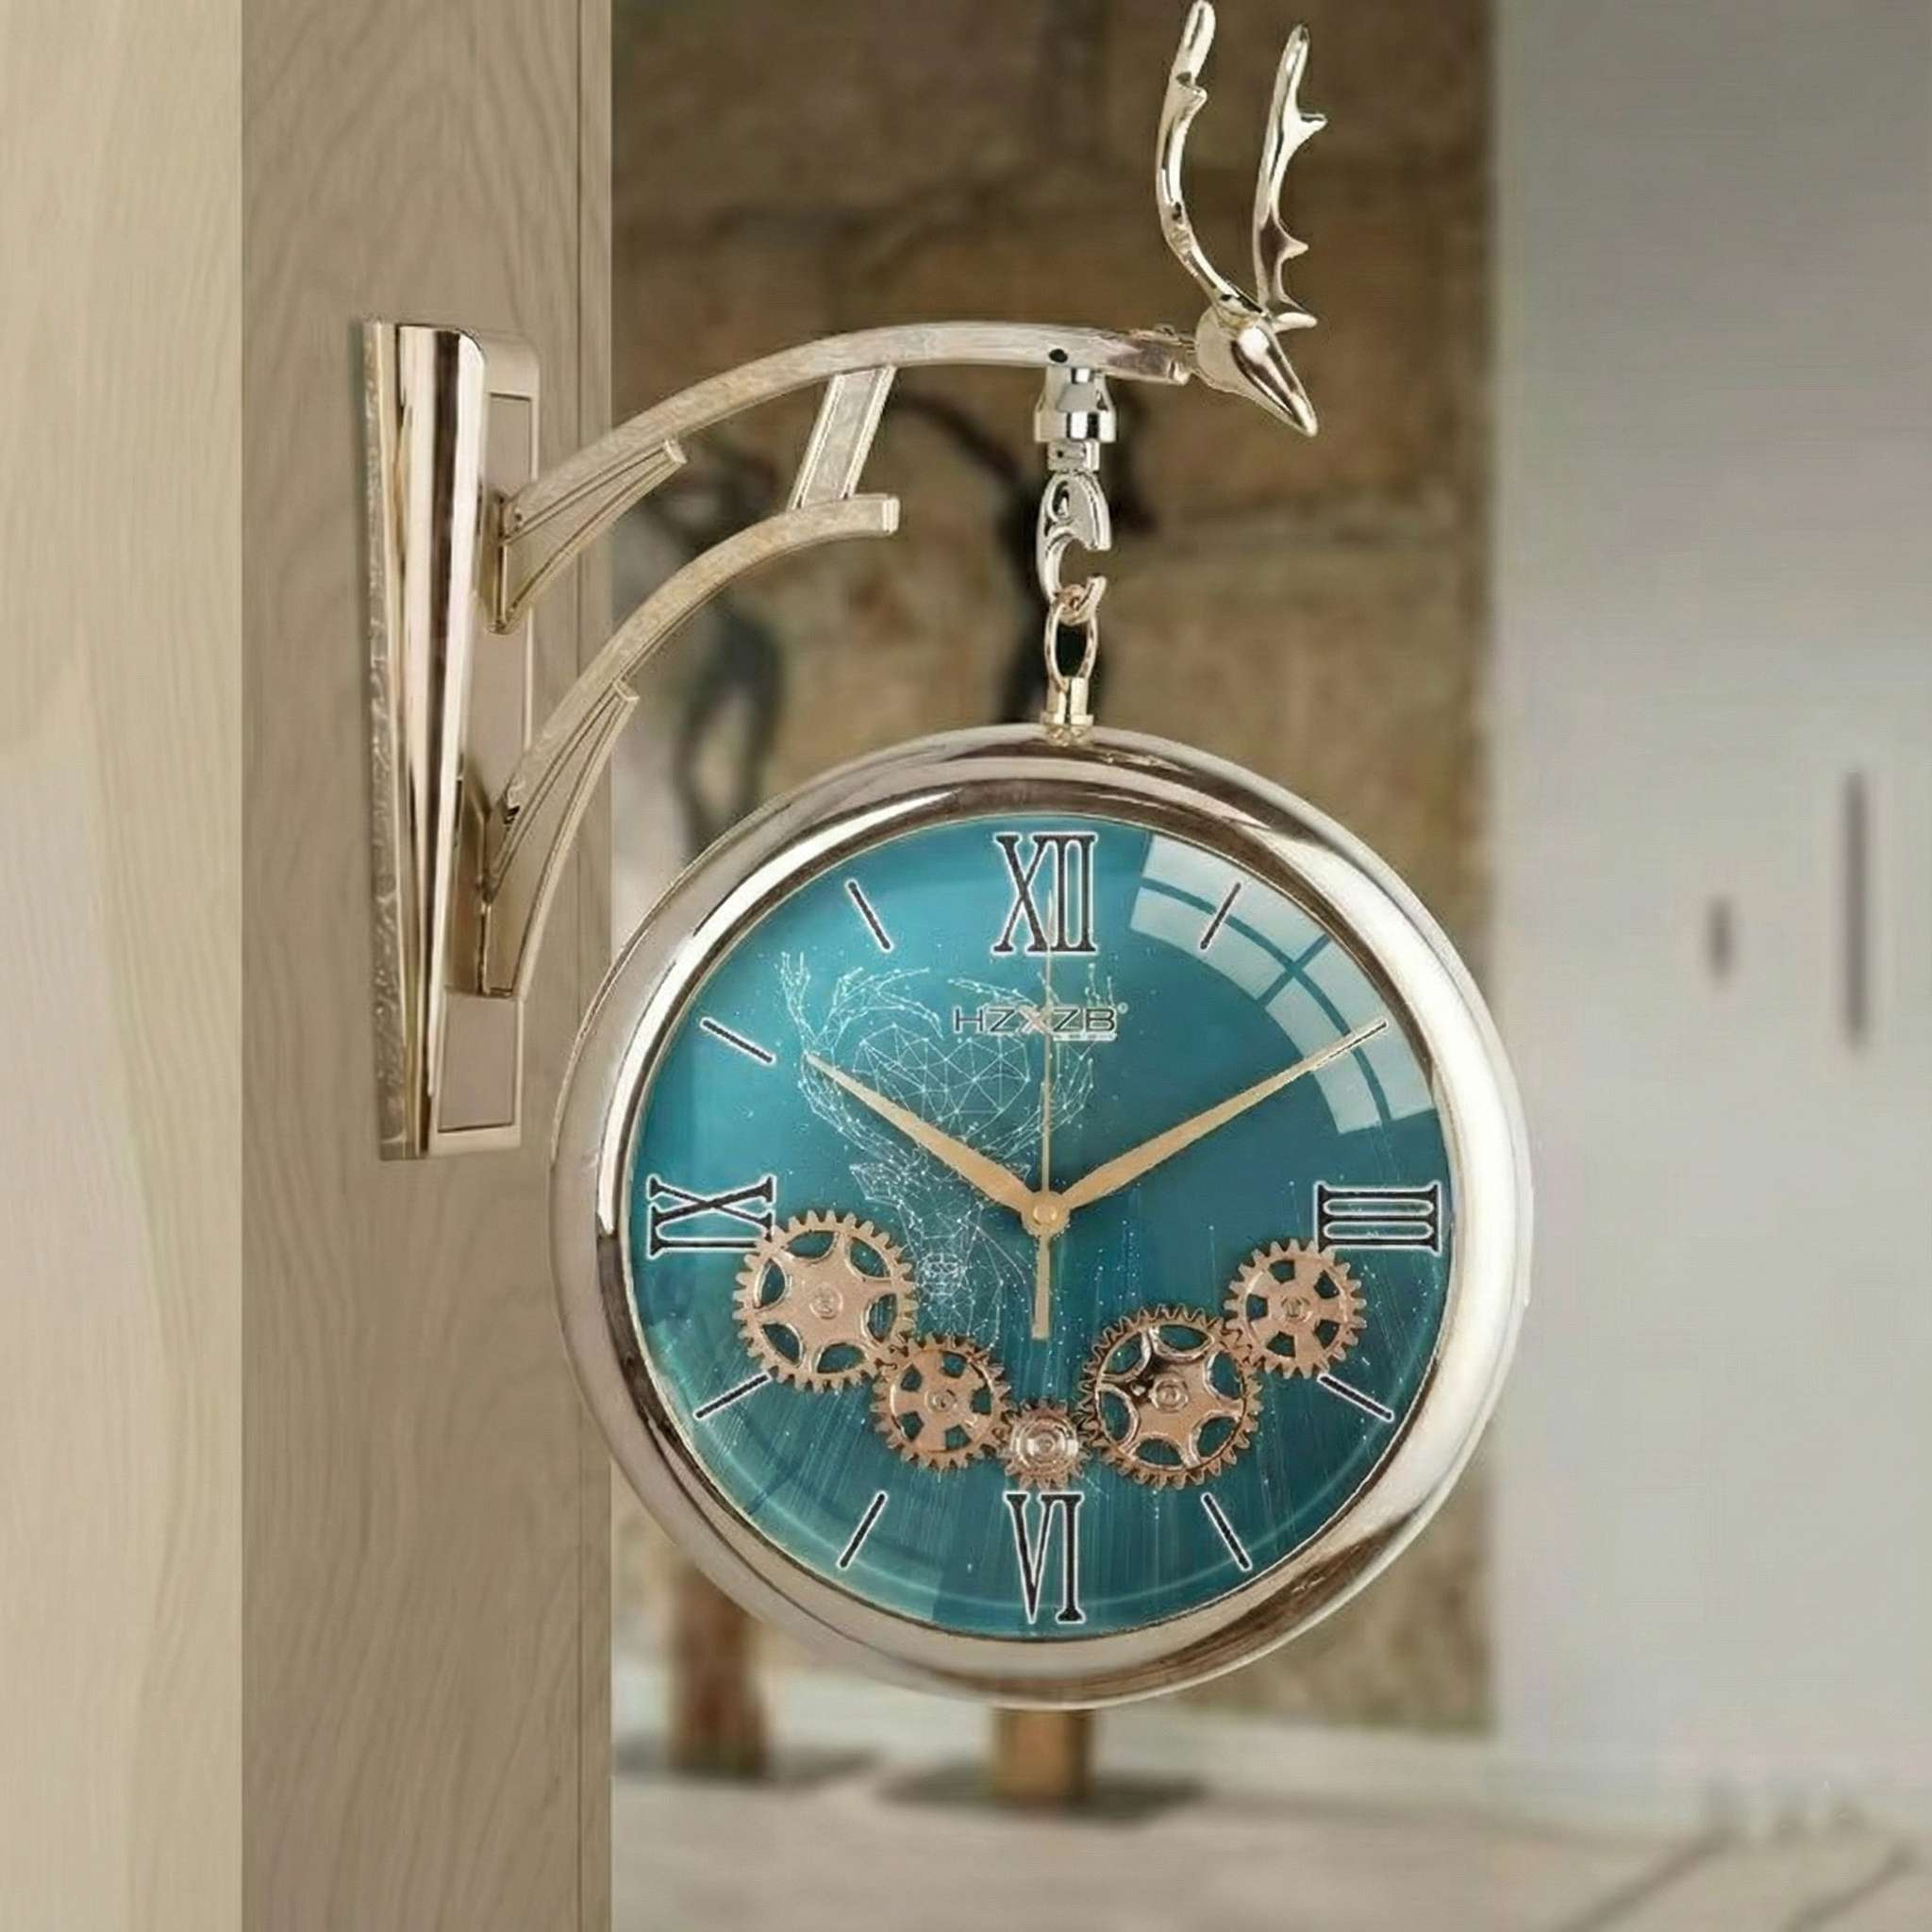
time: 1:50
